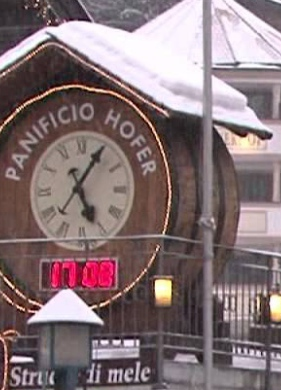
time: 5:05
